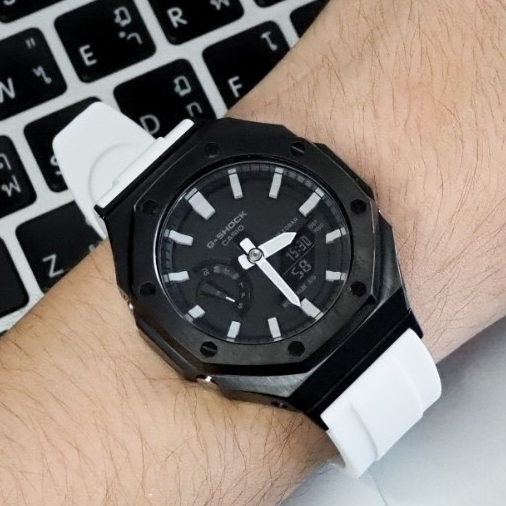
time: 1:20
